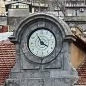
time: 3:54
